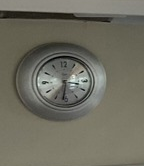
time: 3:32
